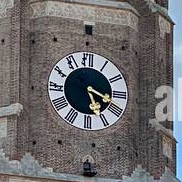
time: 5:18
